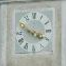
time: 3:48
